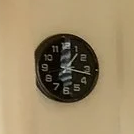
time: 1:16
